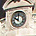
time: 10:00
